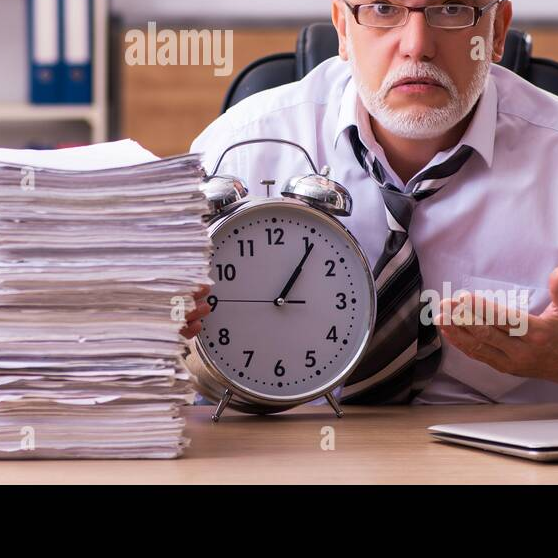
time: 1:05
